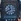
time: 11:40
